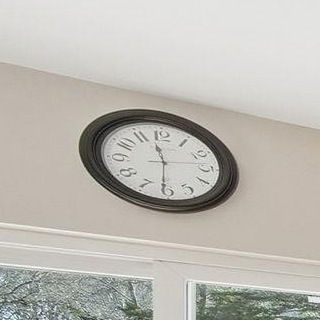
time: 11:30
